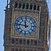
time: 11:46
